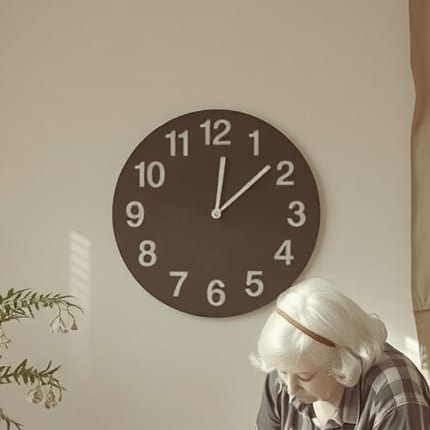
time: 12:08
